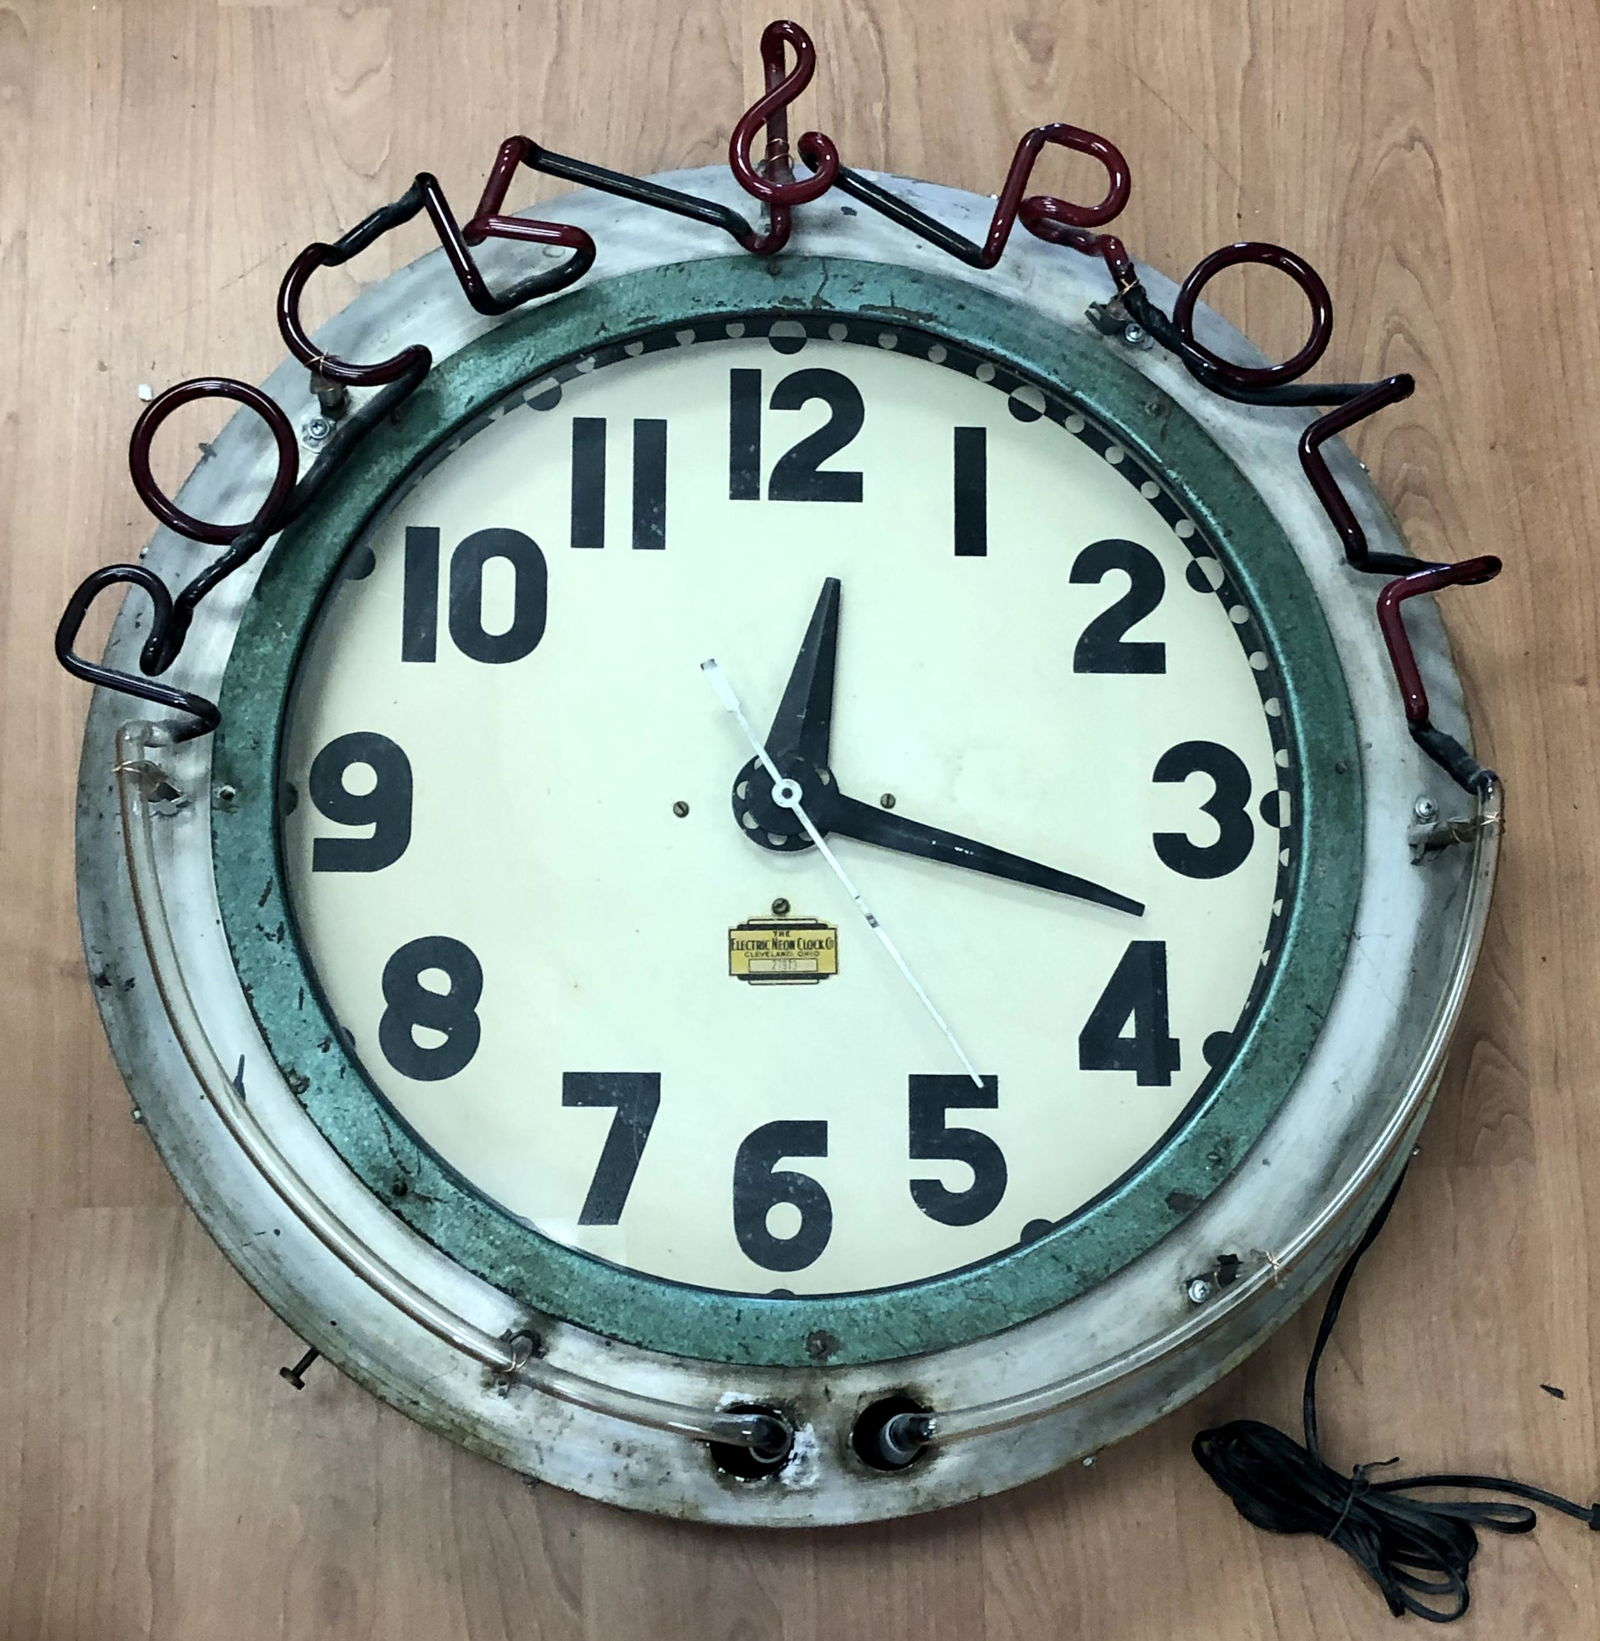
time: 12:17
